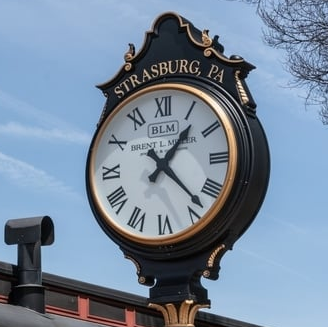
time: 1:22
